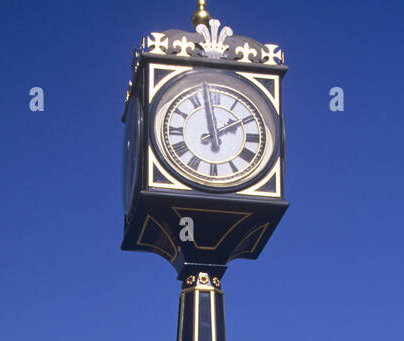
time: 1:58
